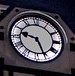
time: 9:25
